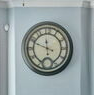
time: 11:48
